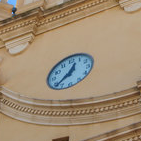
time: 12:37
